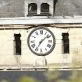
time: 7:08
